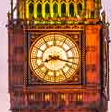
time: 8:17
